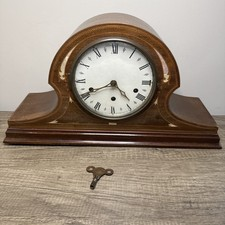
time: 4:40
